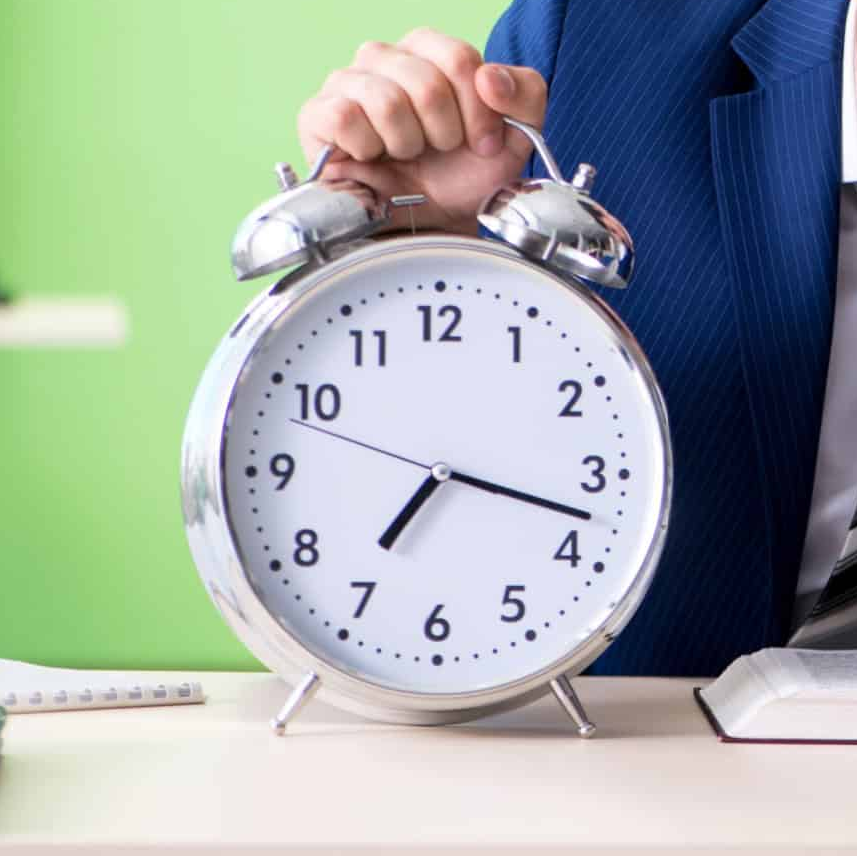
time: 7:17
